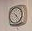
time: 10:23
